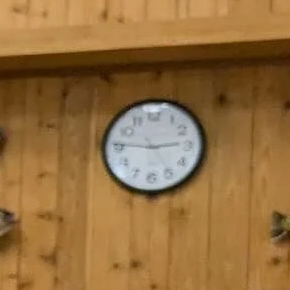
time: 2:46
